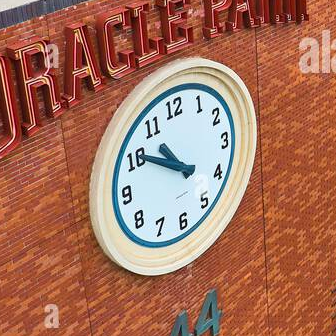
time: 10:50
